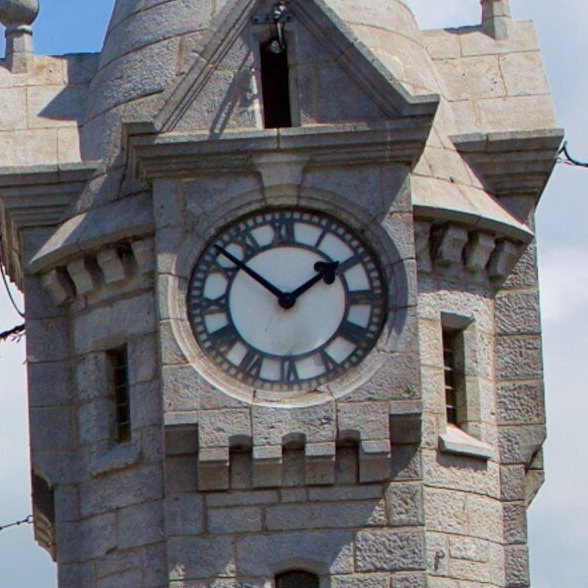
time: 1:51
